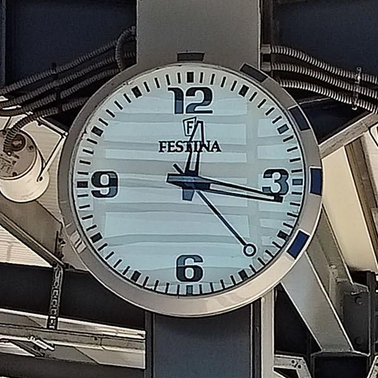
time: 12:16
